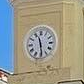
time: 11:28
